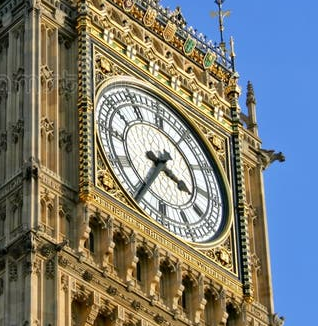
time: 3:35
